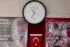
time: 10:34
